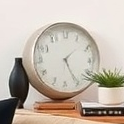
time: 1:25
